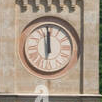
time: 11:59
